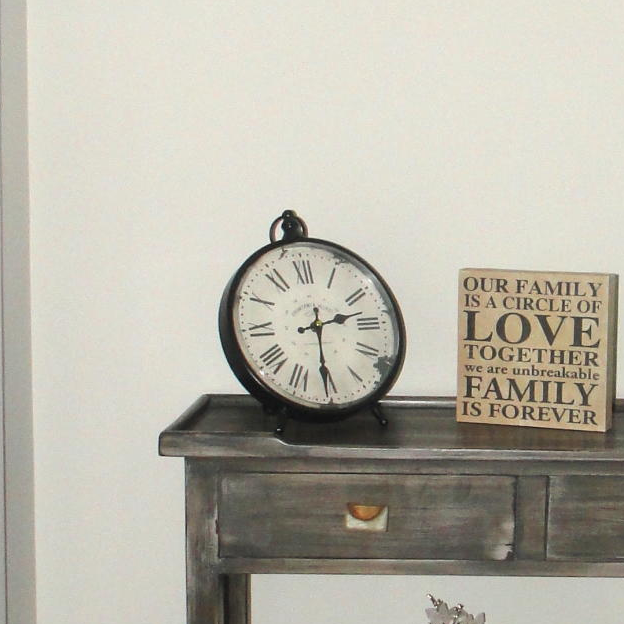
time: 2:30
